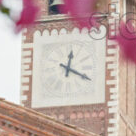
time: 12:19
